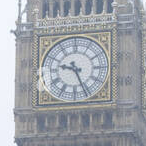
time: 9:26
